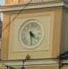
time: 4:29
